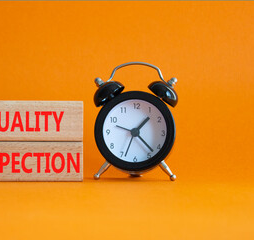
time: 1:22
